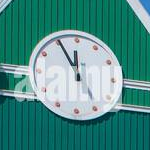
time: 11:55
